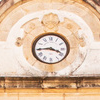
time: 3:44
